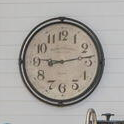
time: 9:13
